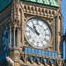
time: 10:49
